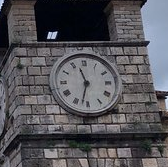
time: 11:32
